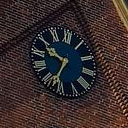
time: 9:33
